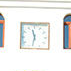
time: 11:32
